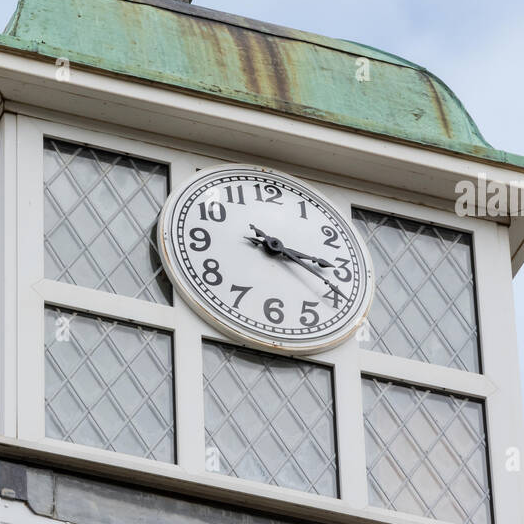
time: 3:19
